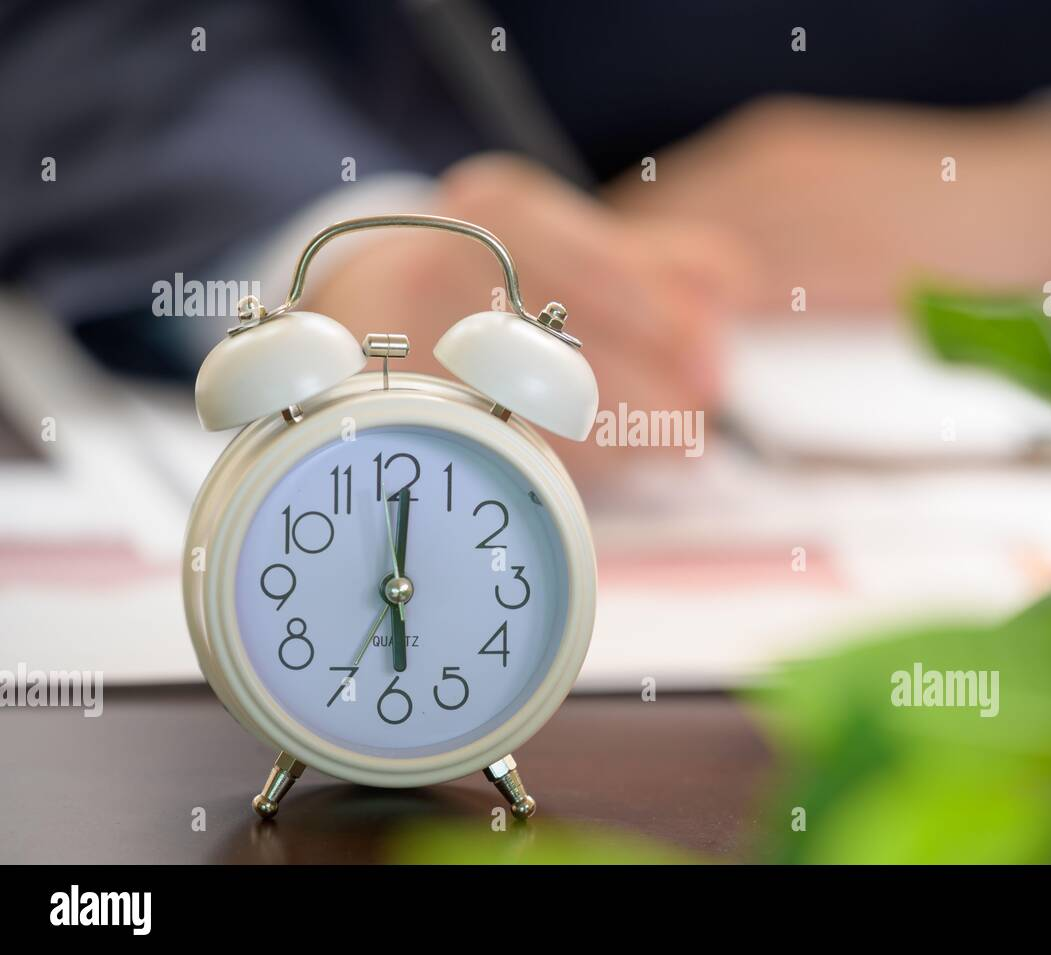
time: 6:01
